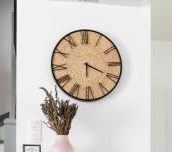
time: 6:19
